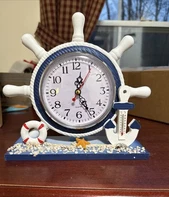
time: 12:25
